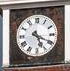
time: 5:19
